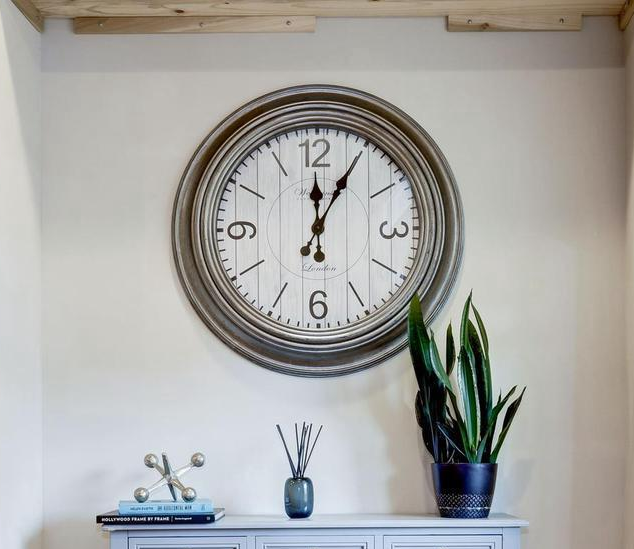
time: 12:04
